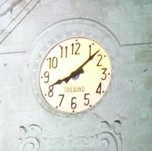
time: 8:07
